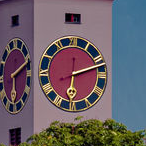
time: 6:12
